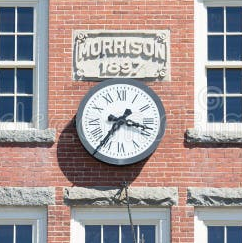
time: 7:17
